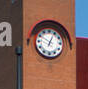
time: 12:49
